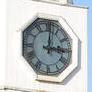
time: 3:01
